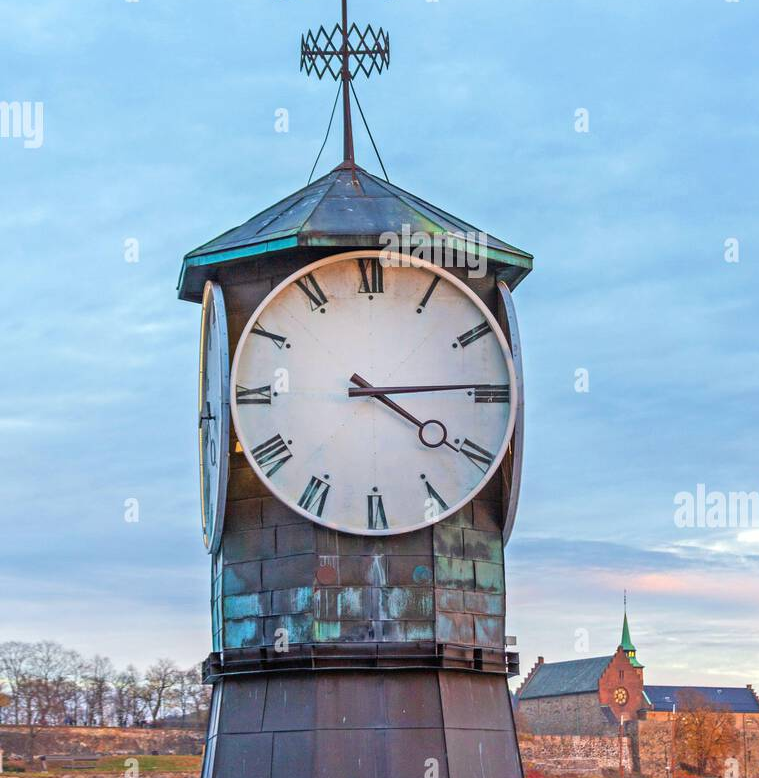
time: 4:14
